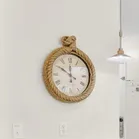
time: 11:50
